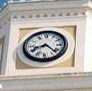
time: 8:22
